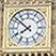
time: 7:51
